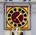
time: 1:24
